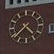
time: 4:37
